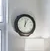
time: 12:04
